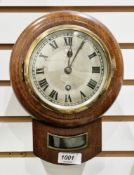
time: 12:04
